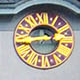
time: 2:40
